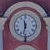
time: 11:32
